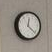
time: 12:21
